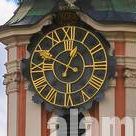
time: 12:49
